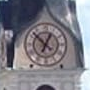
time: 12:52
